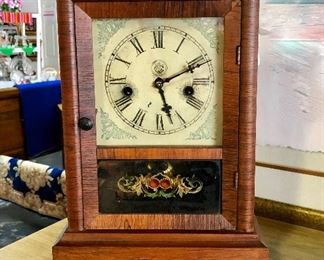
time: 5:11
